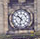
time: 10:32
